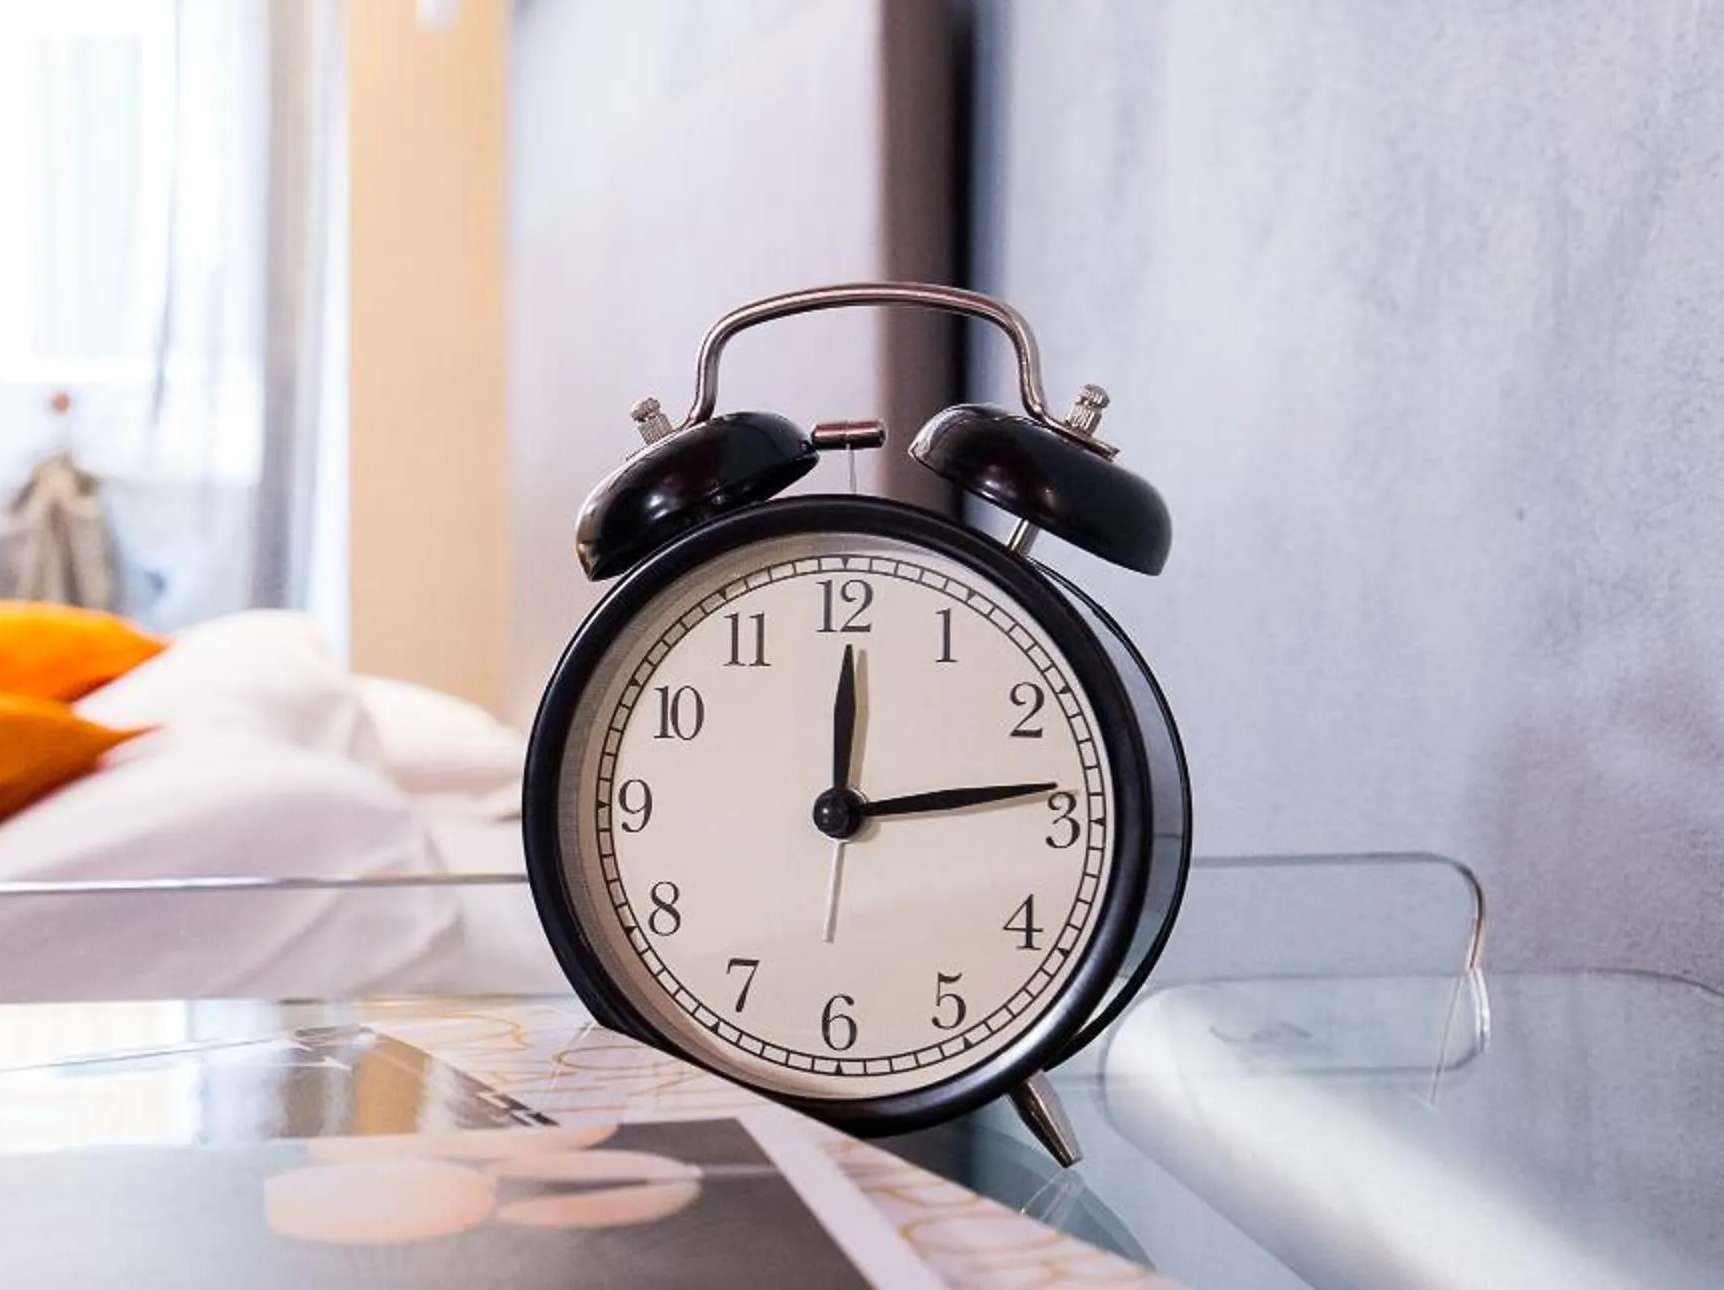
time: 12:13
